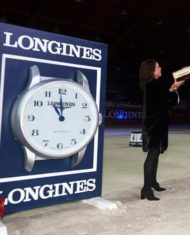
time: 10:59
